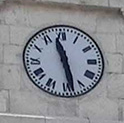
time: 11:28
